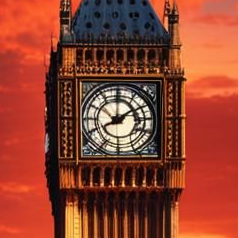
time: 8:09
